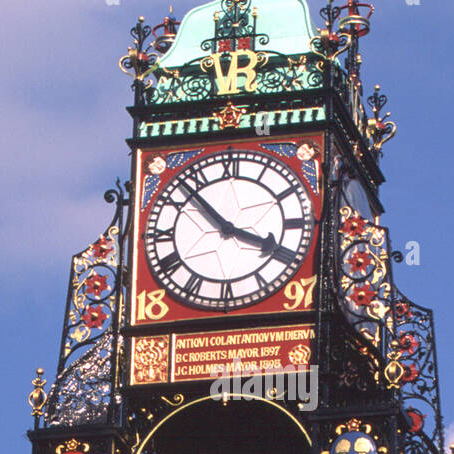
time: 3:52
